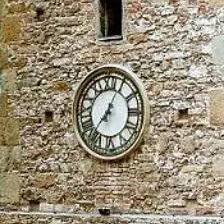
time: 7:04
